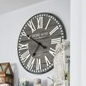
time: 6:50
